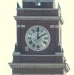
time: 2:00
